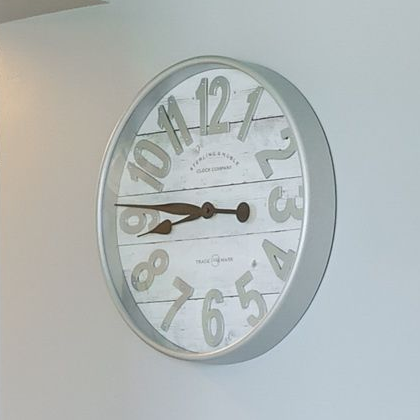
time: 8:46
